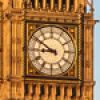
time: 8:50
